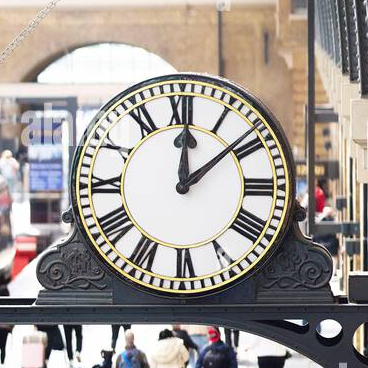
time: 12:08
